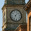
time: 7:07
